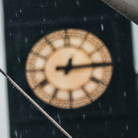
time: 12:14
